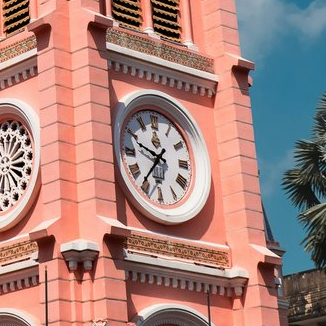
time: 9:35
